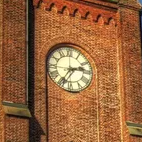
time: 2:35
